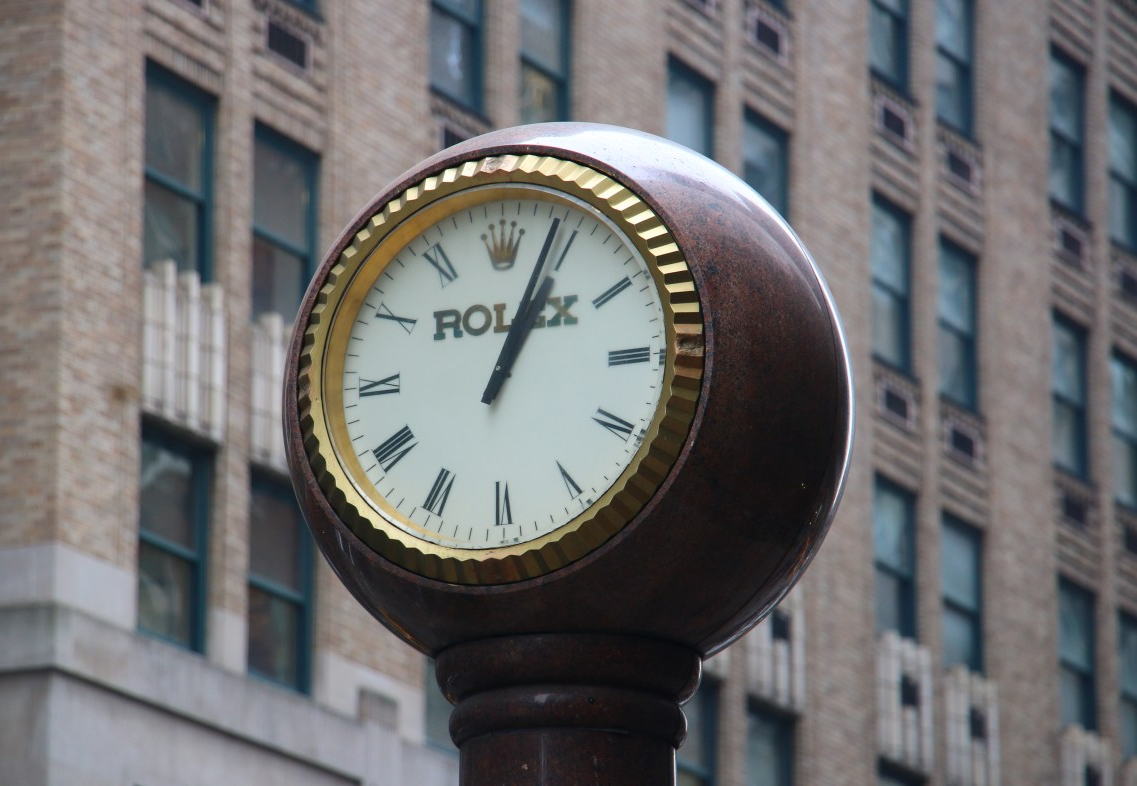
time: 1:03
